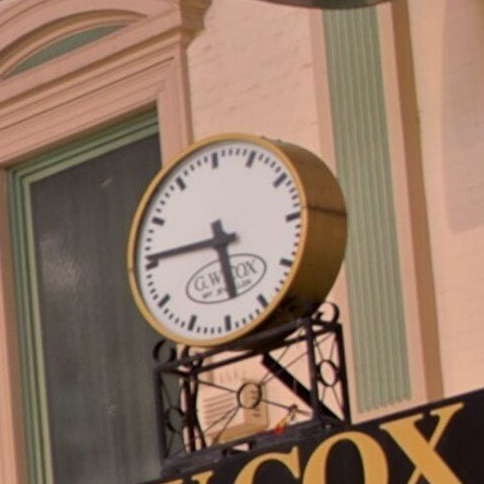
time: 5:45
